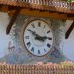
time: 2:50
